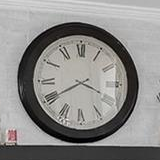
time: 3:40
